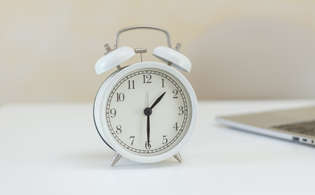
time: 1:29
